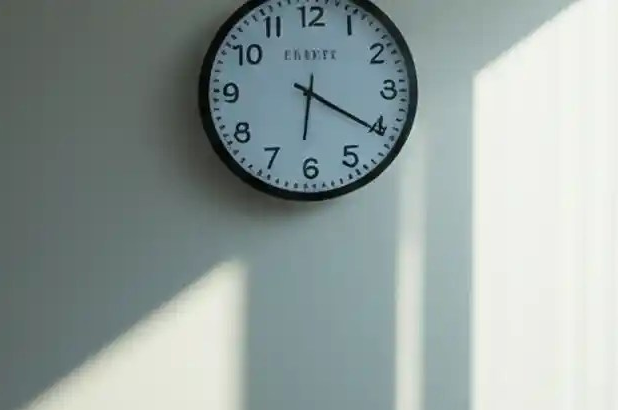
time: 6:20
